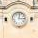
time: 3:02
